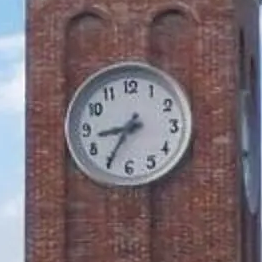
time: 8:35
